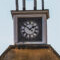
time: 1:51
